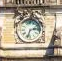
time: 2:33
